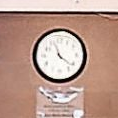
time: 11:21
